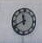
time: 11:40
